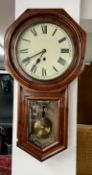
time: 6:40
